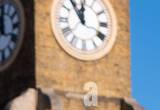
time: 11:53
